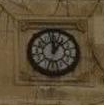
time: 12:07
